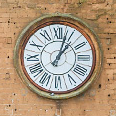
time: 1:03
